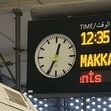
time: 12:34
